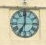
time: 7:00
